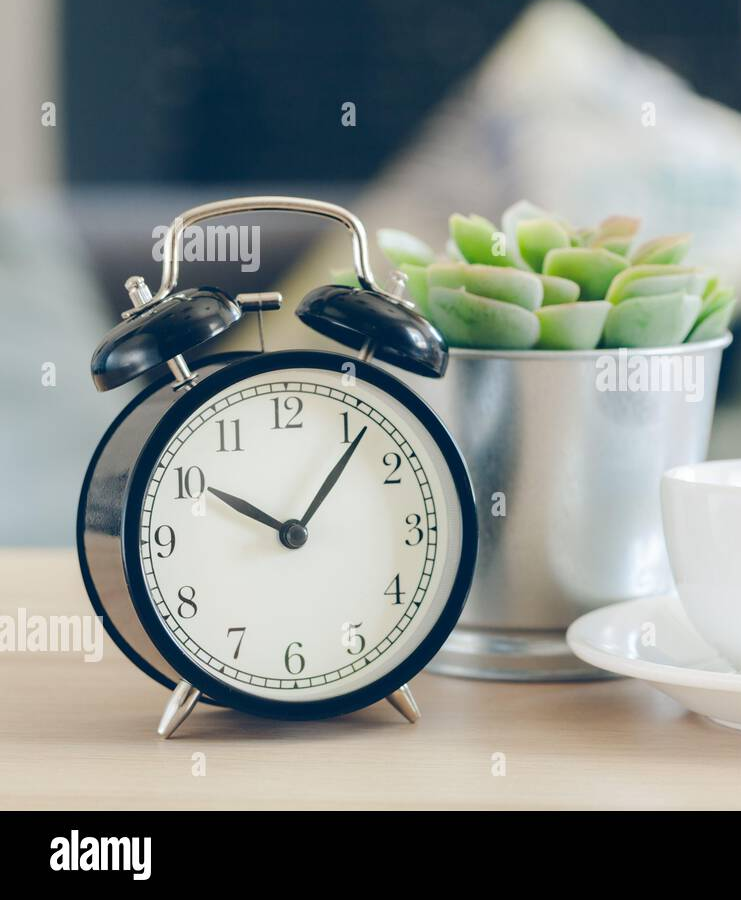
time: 10:06
